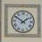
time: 1:50
